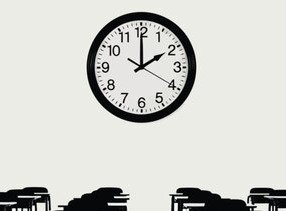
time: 2:00
